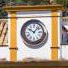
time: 10:07
